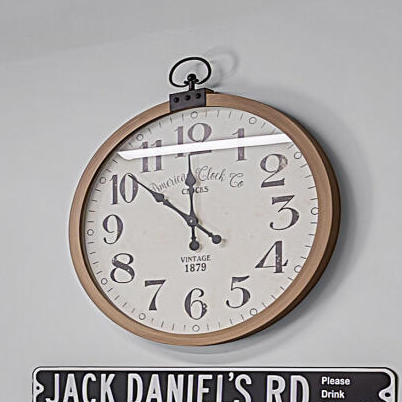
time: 11:51
